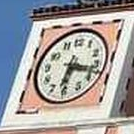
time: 6:17
